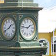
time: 1:46
